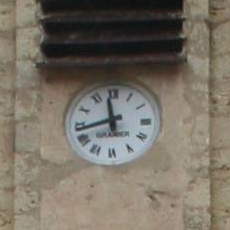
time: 11:42
